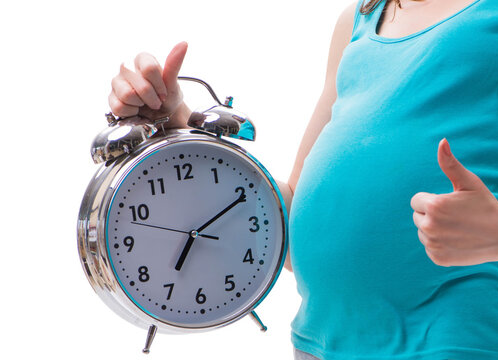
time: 7:10
